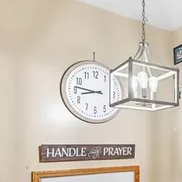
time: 8:46
